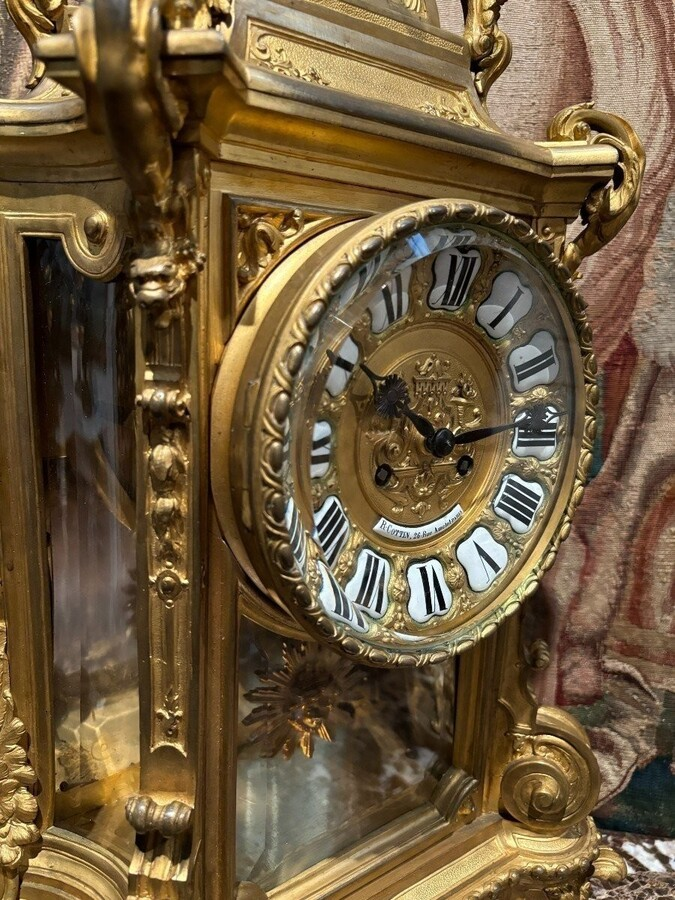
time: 2:50
